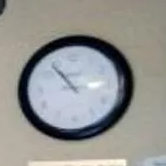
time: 2:53
